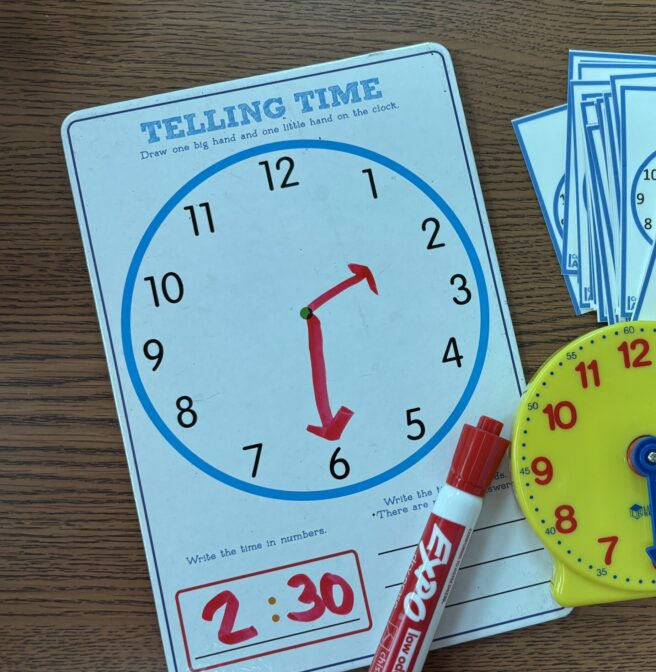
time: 2:30
